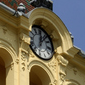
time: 12:06
